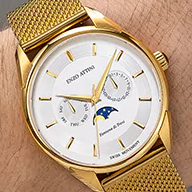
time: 12:46
